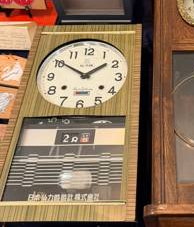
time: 1:50
